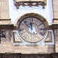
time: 11:52
